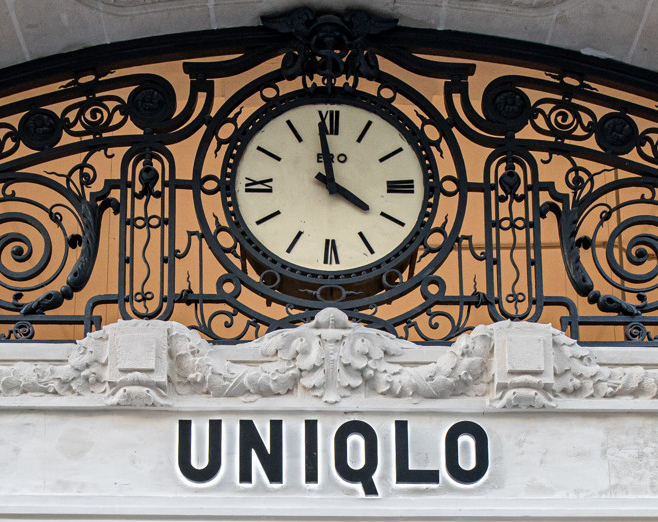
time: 3:58
